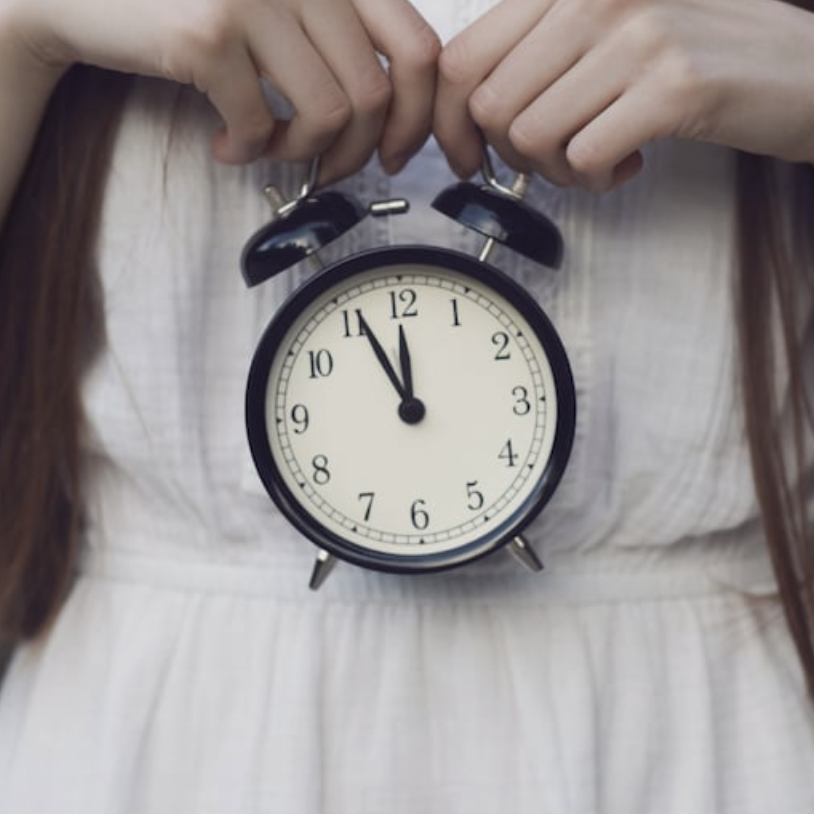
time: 11:55
